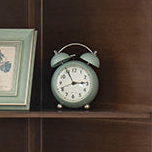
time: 2:55
